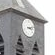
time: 3:12
